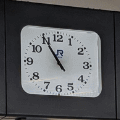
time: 10:54
